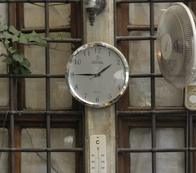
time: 1:45
